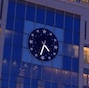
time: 4:33
